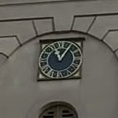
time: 11:05
